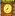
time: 8:02
